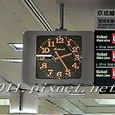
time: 2:24
